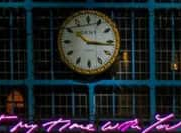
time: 10:16
